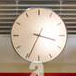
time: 3:34
